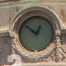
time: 12:52
